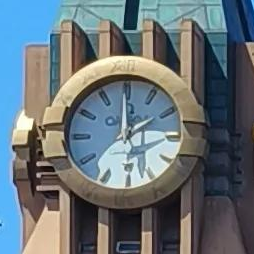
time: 1:59
